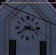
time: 3:39
